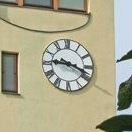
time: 9:18
